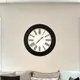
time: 1:37
